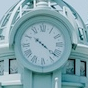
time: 10:21
